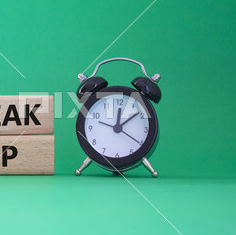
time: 12:07
